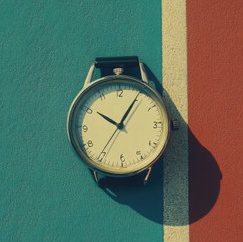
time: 10:05
